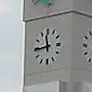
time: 11:44
